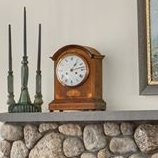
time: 1:12
